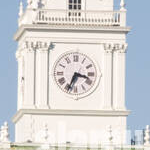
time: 3:34
